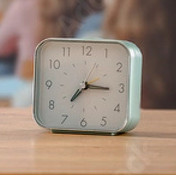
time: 7:15
